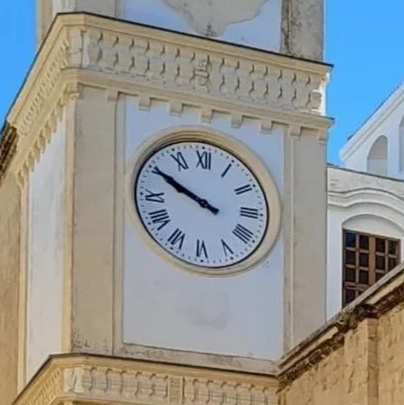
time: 9:50
